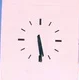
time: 5:29
